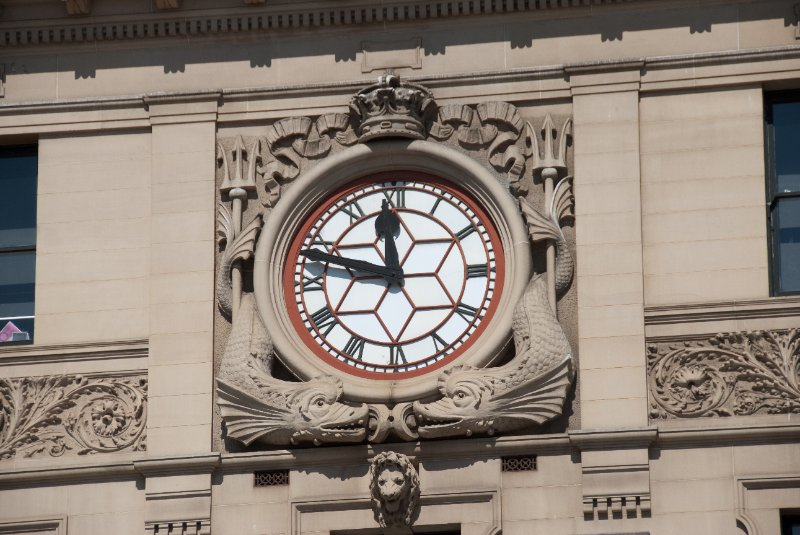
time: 11:47
